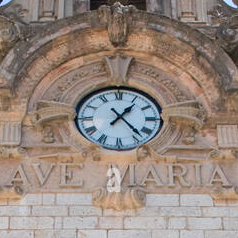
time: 1:22
